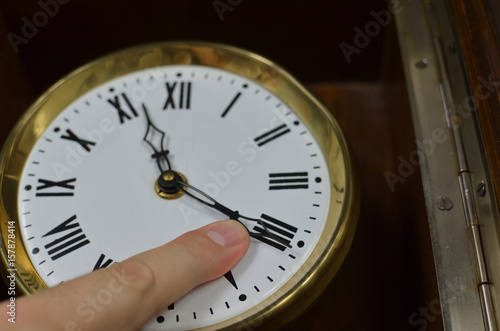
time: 11:20
